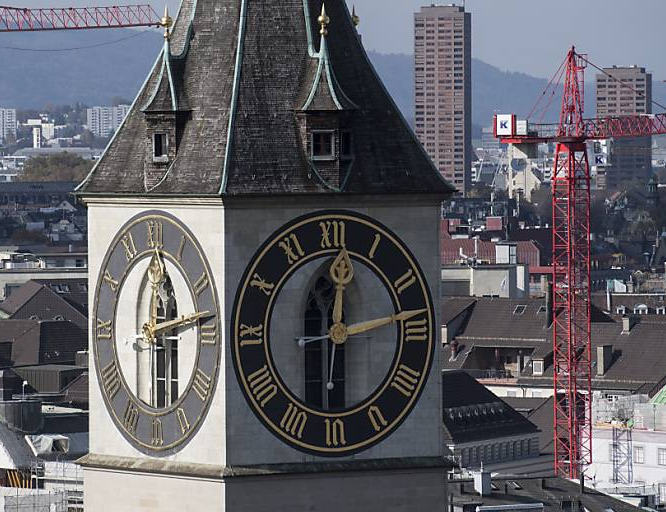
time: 12:13
